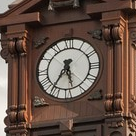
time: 5:35
